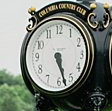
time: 5:27
